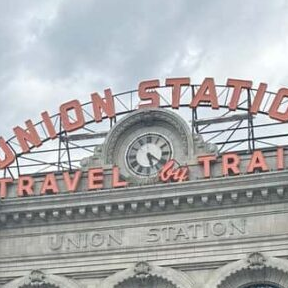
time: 5:21
